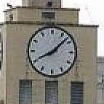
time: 8:07
